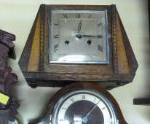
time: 12:15
